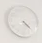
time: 4:22
